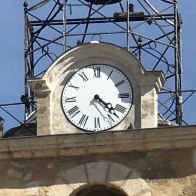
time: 4:22
